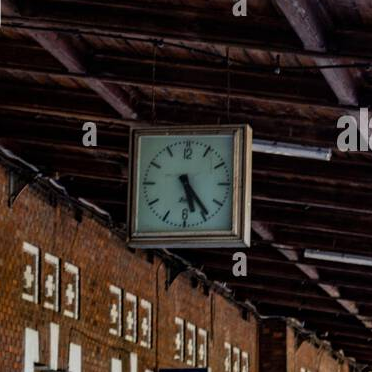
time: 5:23
